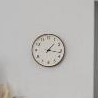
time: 1:16
